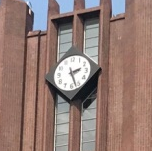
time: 2:27
